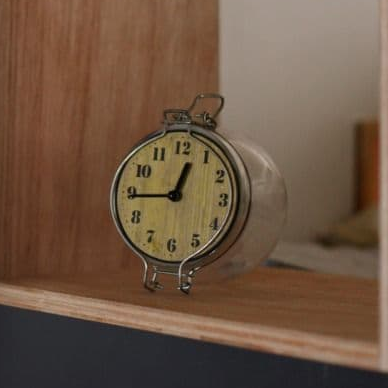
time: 12:44
